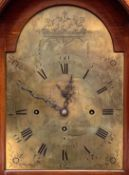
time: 12:49
